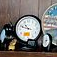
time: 10:48
